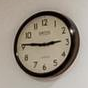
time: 2:46
